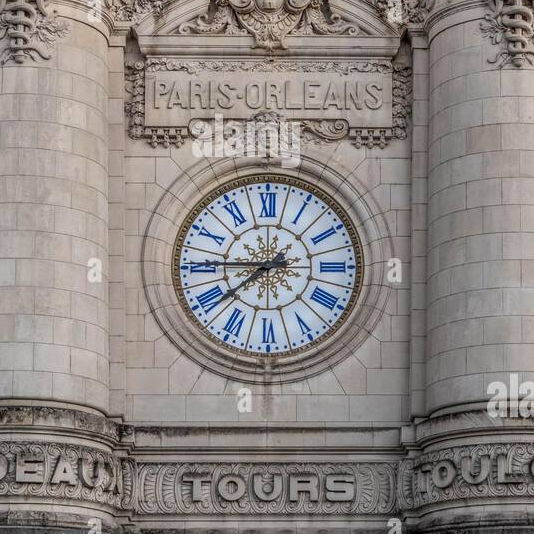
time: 7:45
